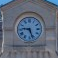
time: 9:26
